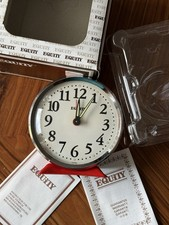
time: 12:05
